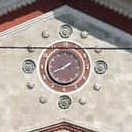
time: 1:41
